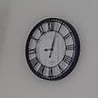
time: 9:03
